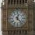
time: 12:23
